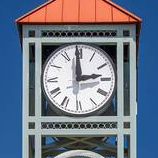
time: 2:59
